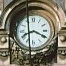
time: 8:19
